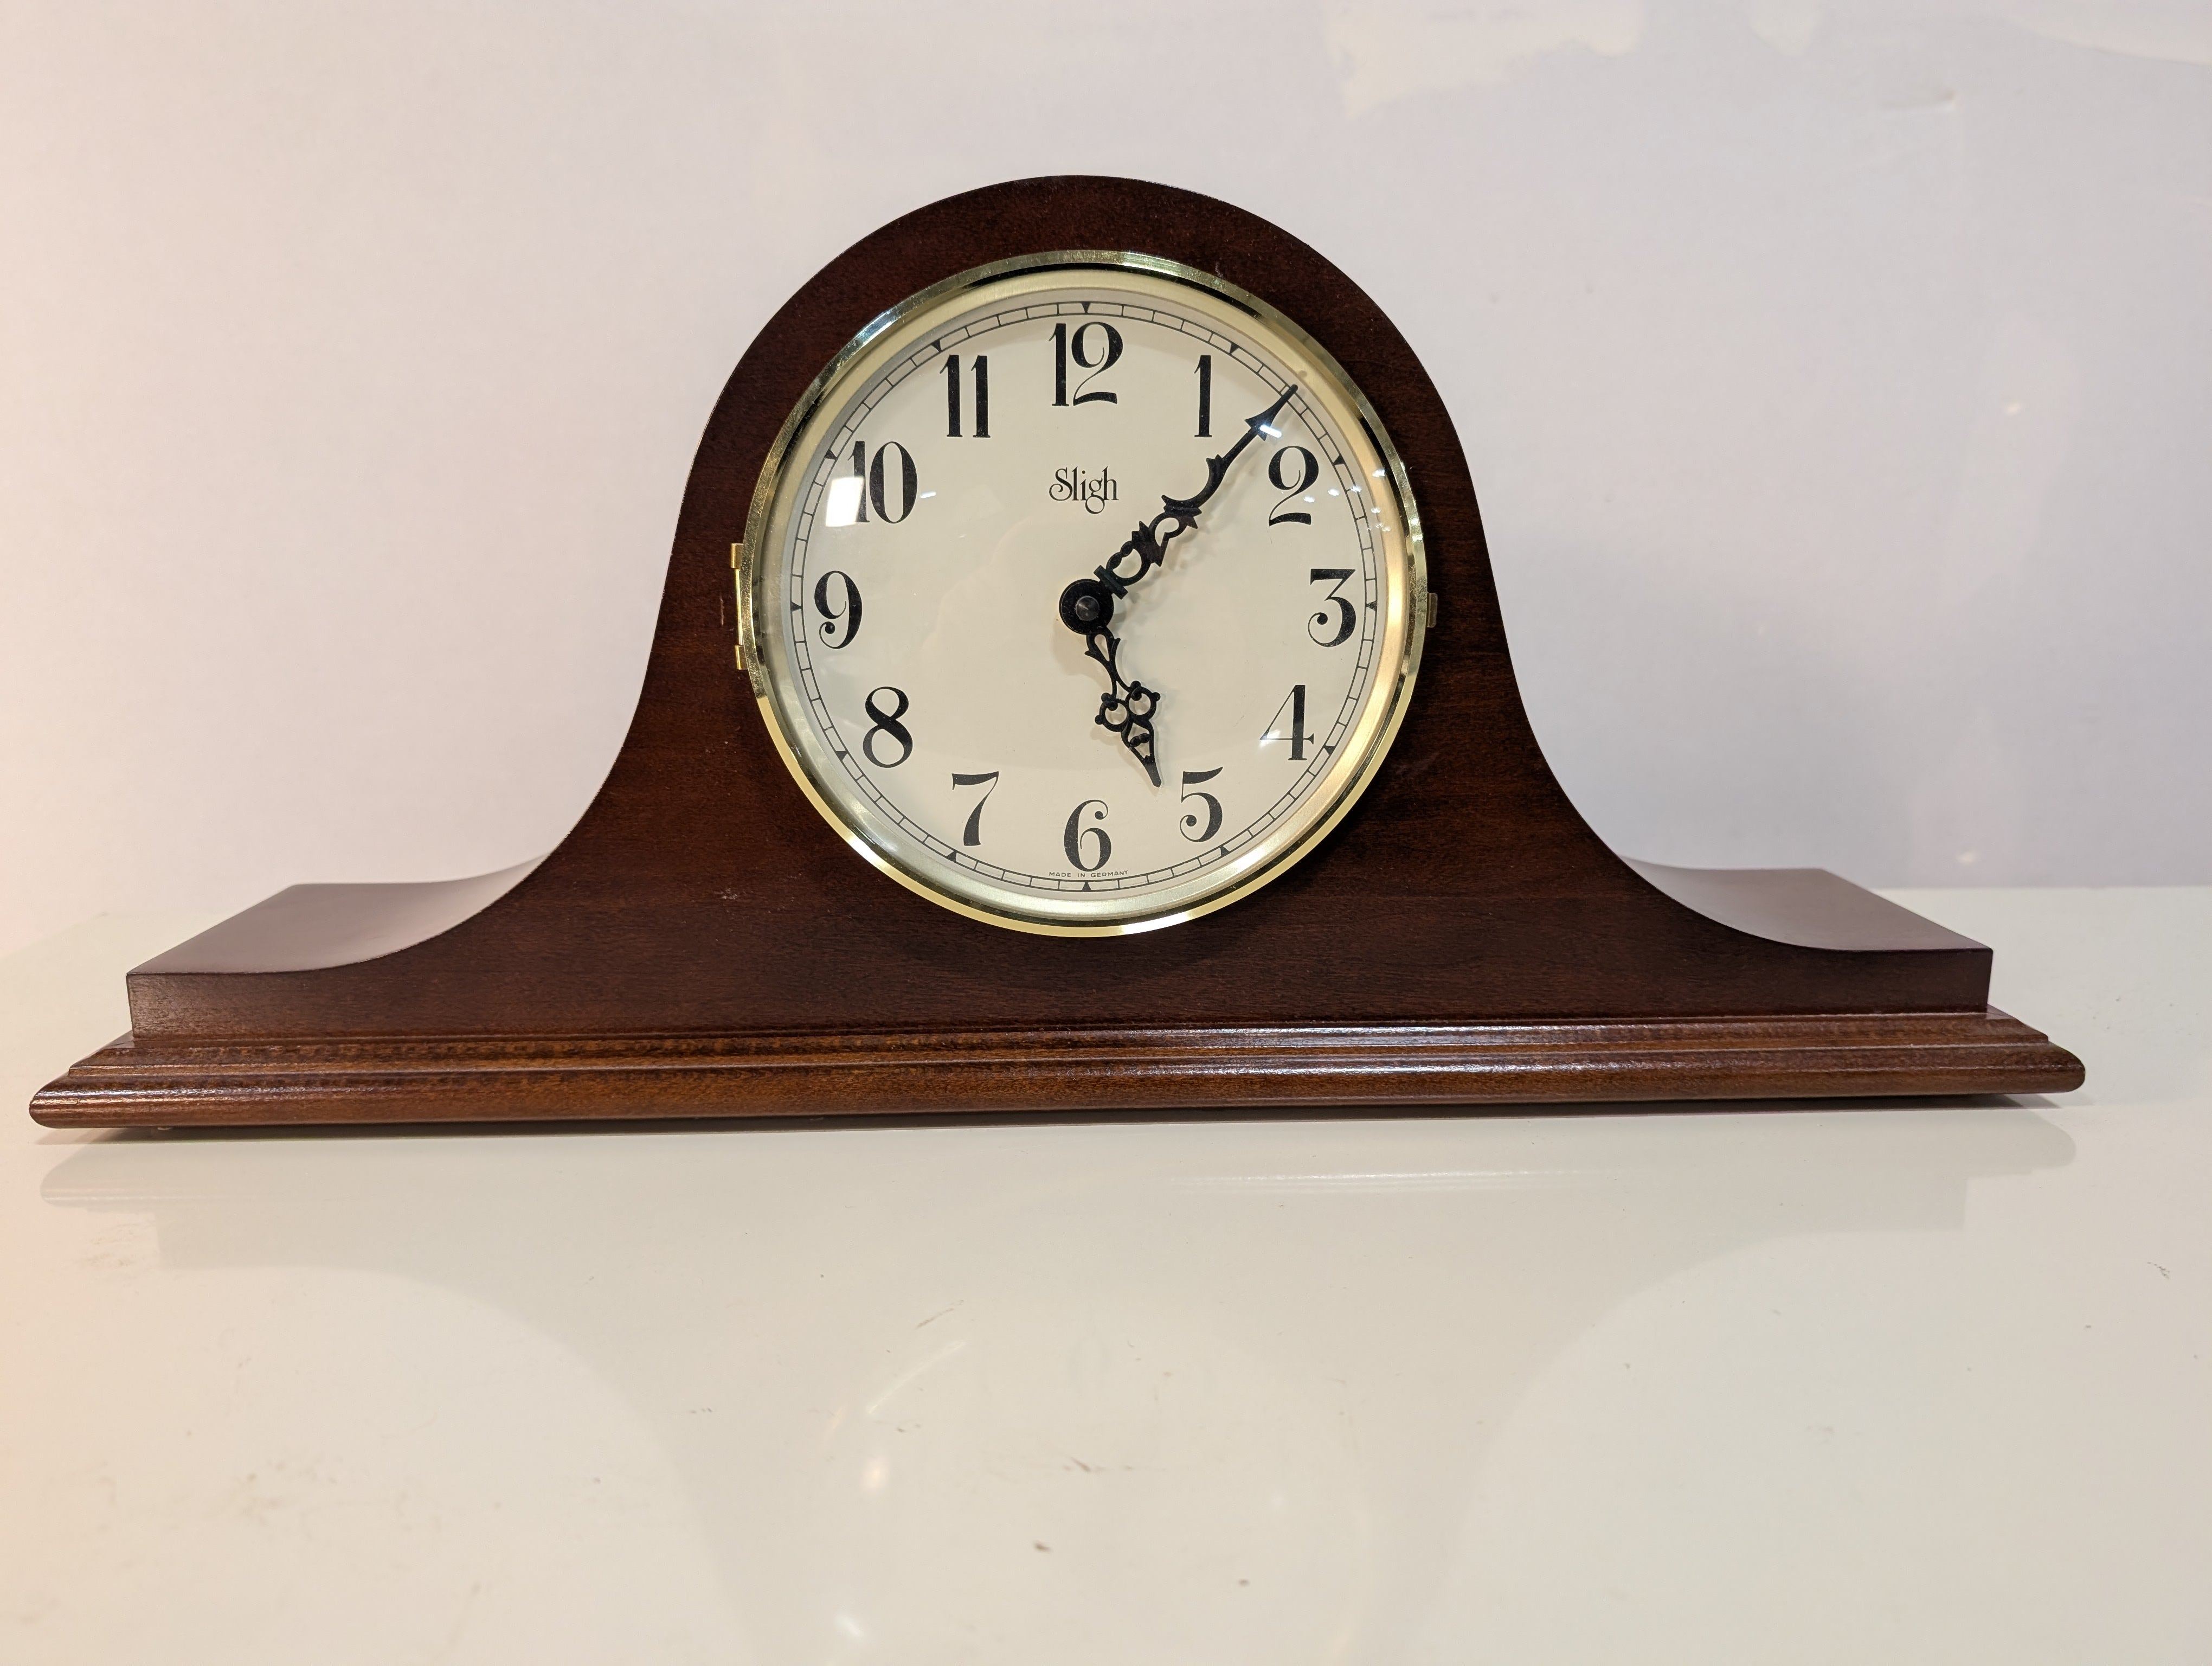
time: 5:07
